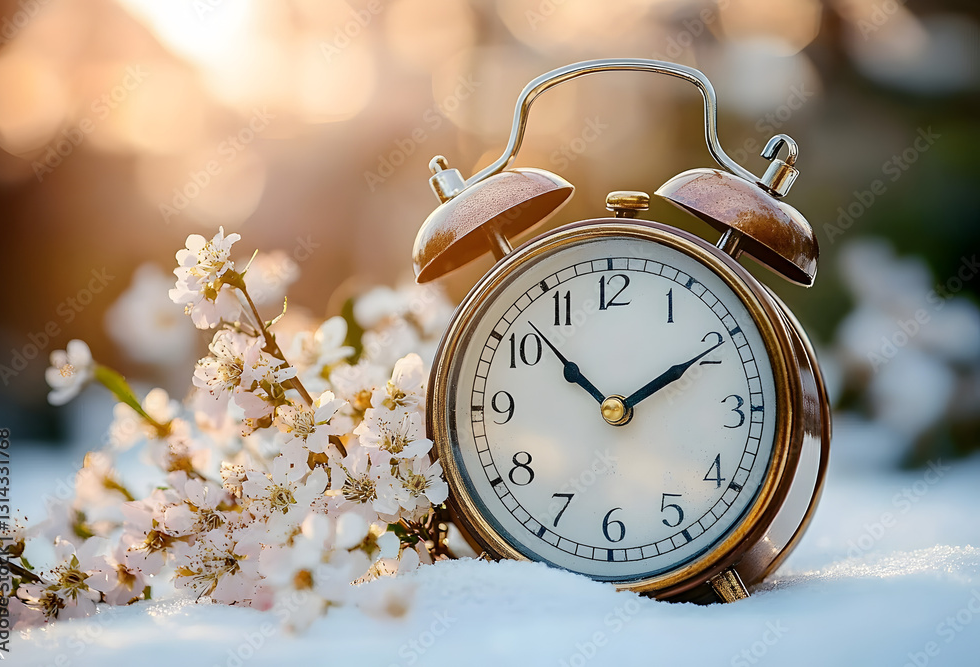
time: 1:52
